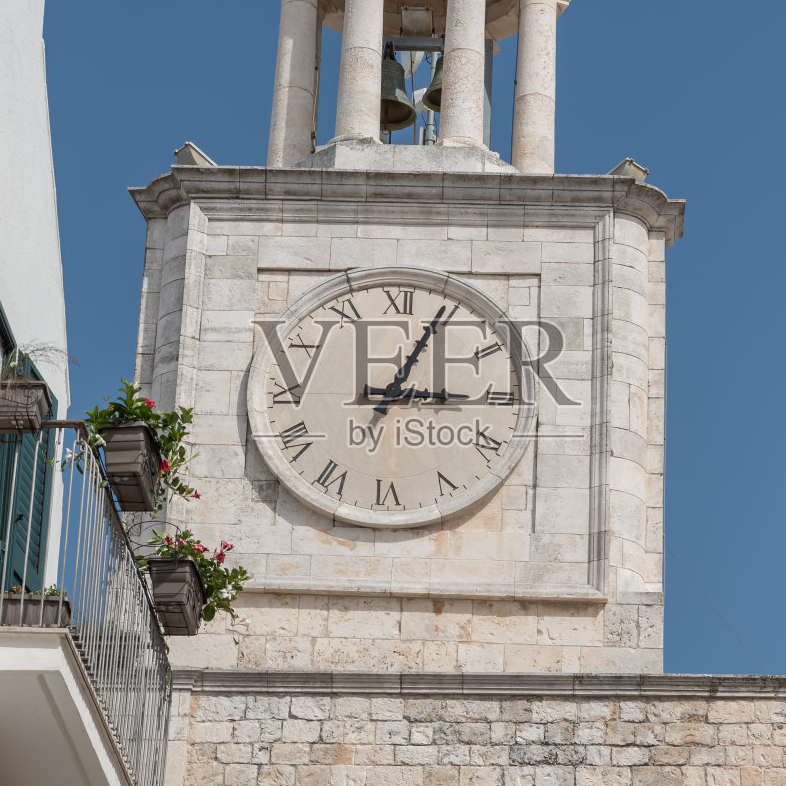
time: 3:04
